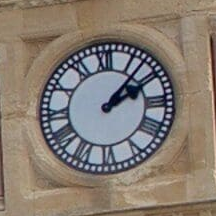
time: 2:07
